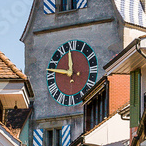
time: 11:46
